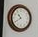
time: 10:40
